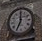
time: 7:00
